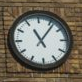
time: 11:06
